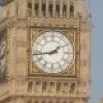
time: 1:43
